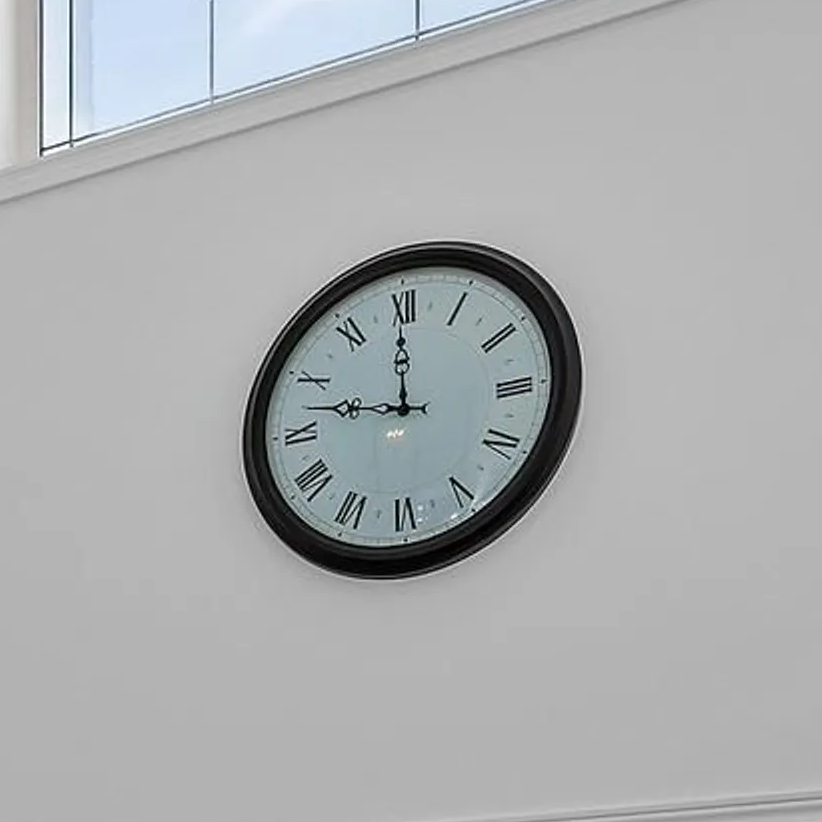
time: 11:47
